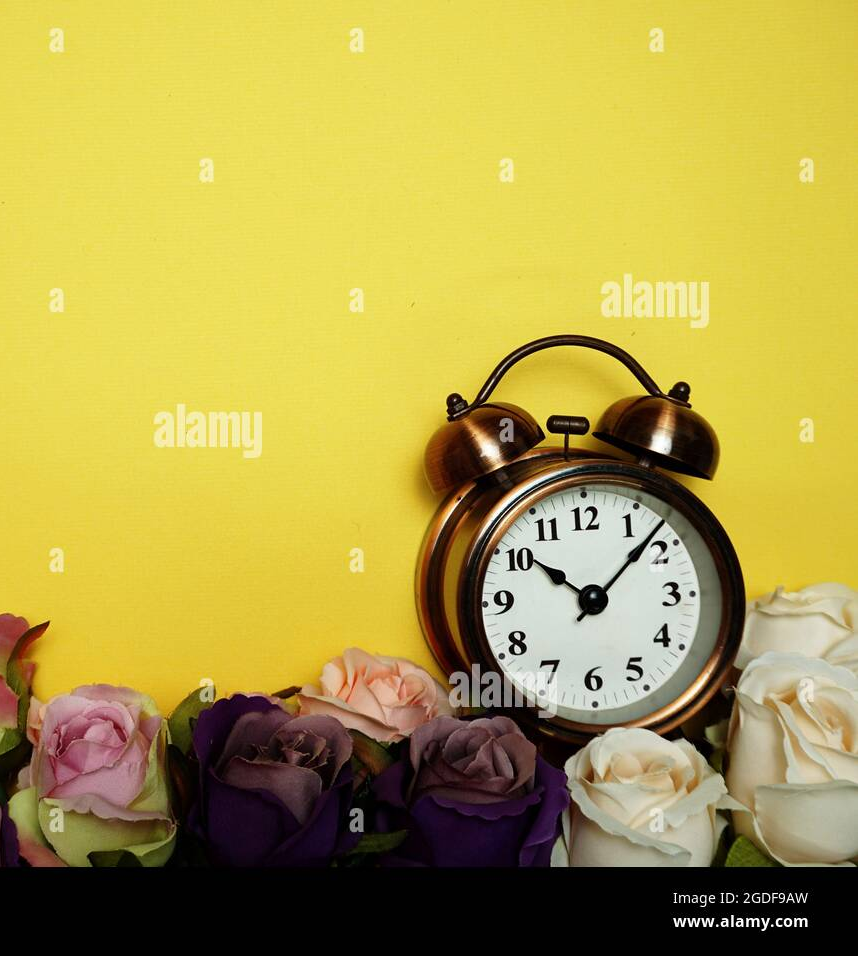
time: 10:07
